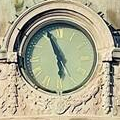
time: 5:56
